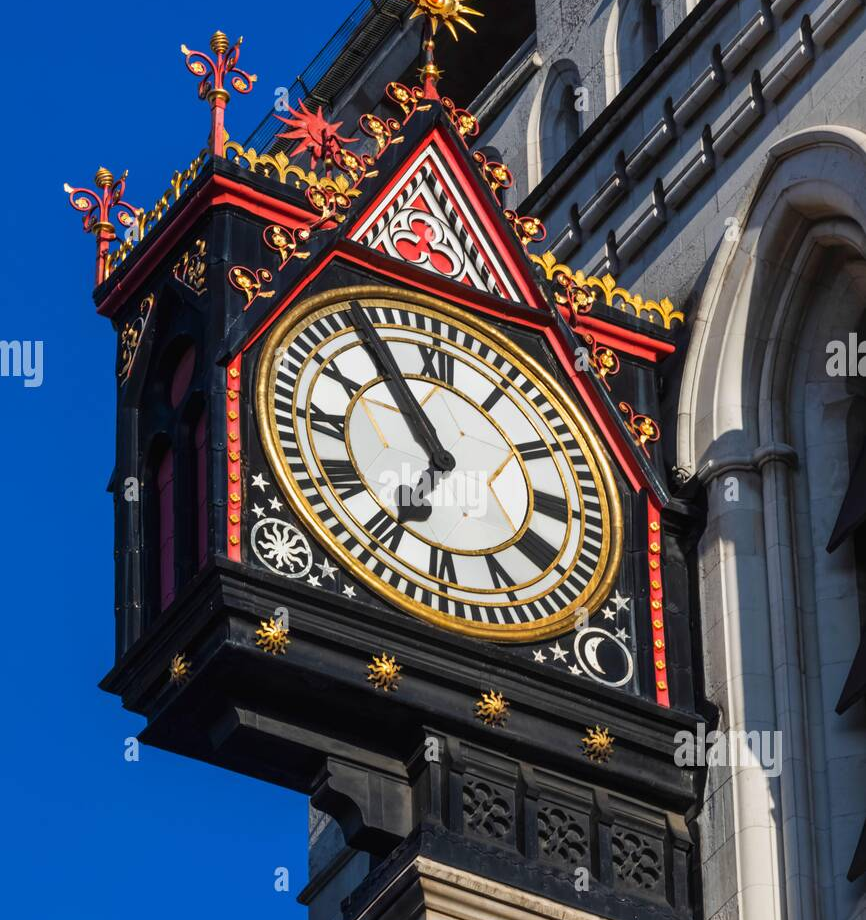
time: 6:54
